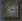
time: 11:13
